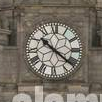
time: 10:21
